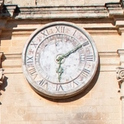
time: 6:09
